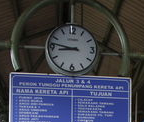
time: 8:46
